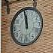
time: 11:58
